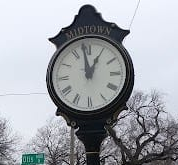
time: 12:58
